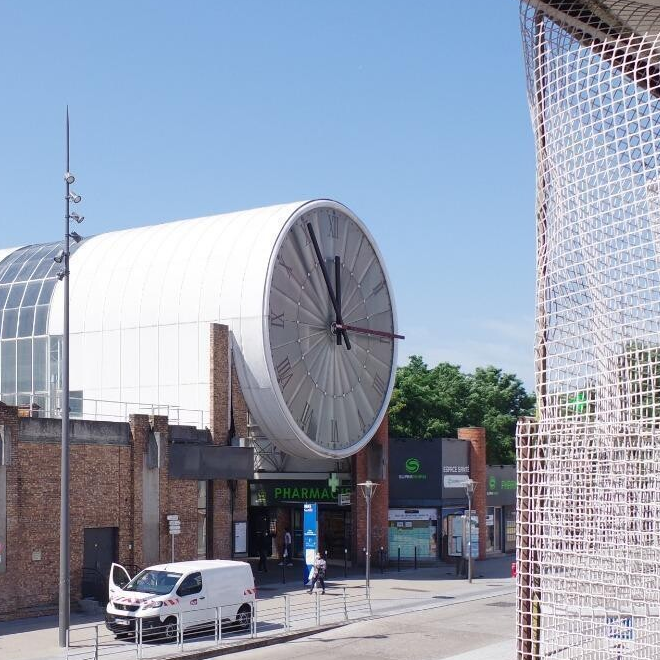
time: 11:55
